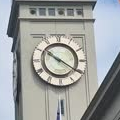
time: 10:20
